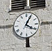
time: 4:04
